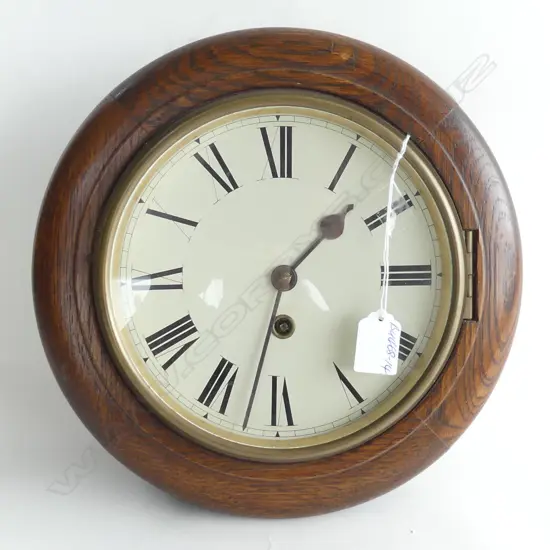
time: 1:32
